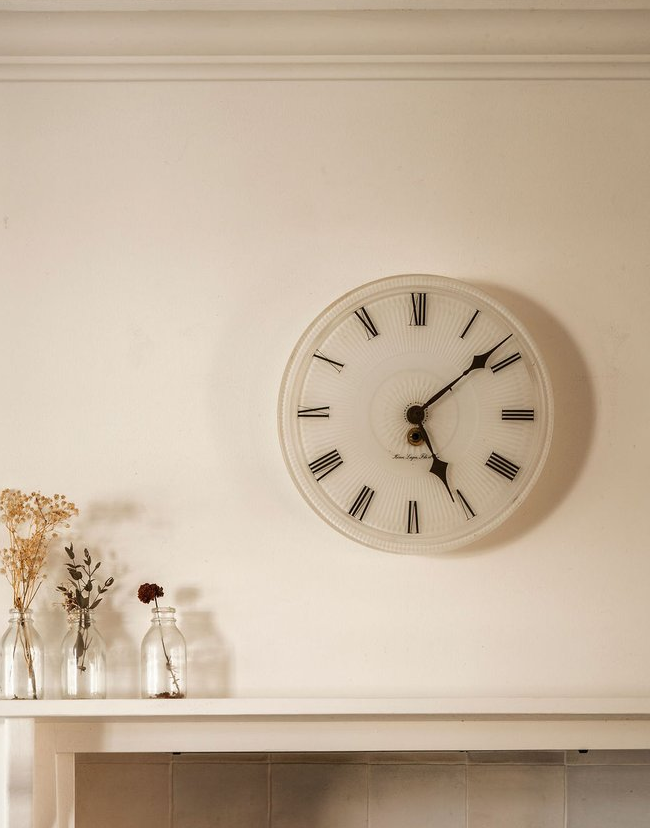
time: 5:08
